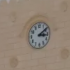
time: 3:09
